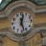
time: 12:27
